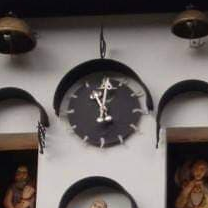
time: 11:00
